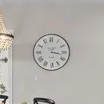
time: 3:16
